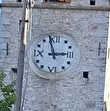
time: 2:58
